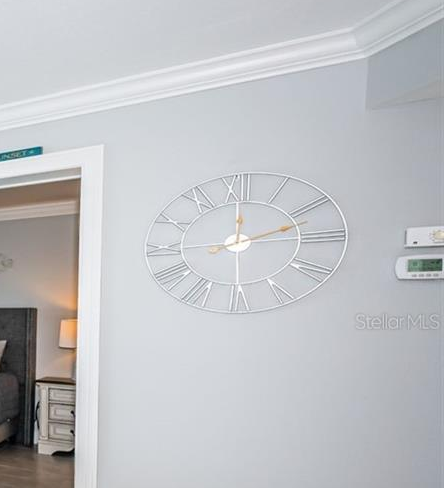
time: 12:12
